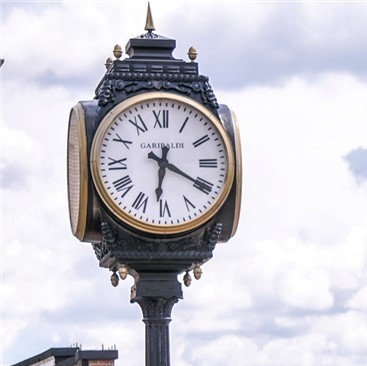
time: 6:20
